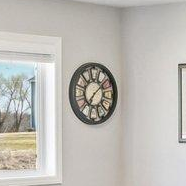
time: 7:08
